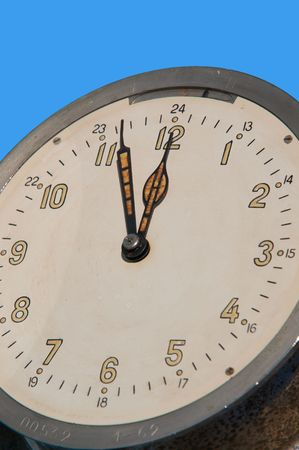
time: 11:56
